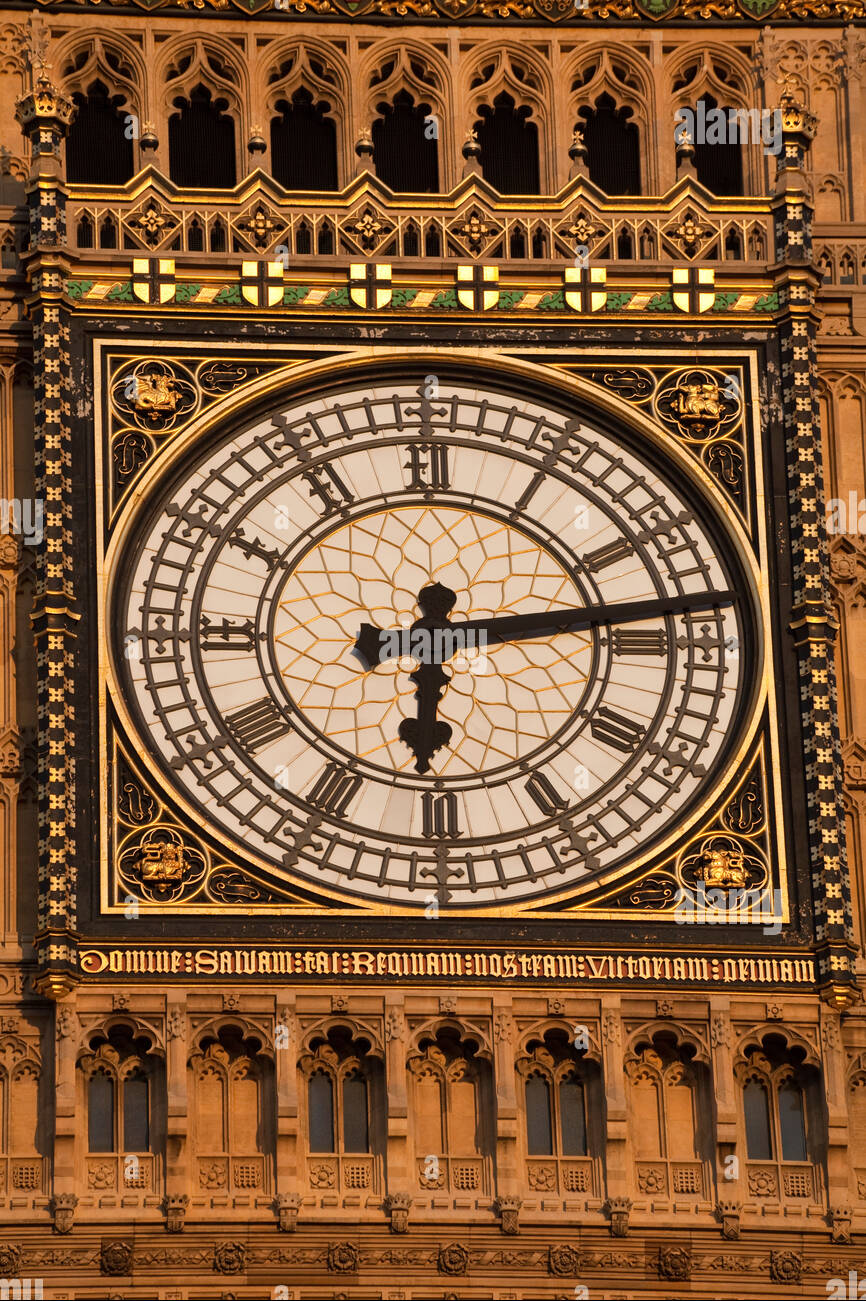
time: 6:13
